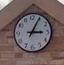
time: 3:04
